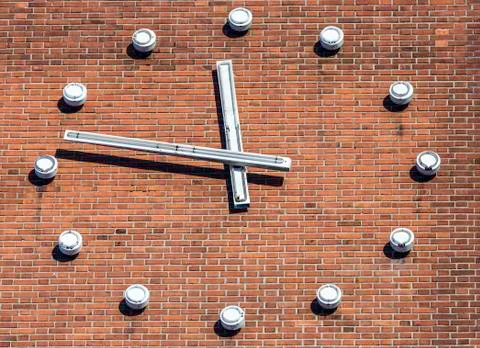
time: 11:46
